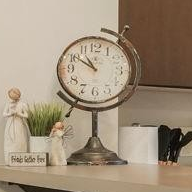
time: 10:50
